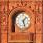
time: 1:27
